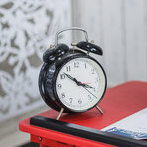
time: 3:52
